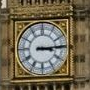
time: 3:14
